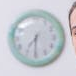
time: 7:30
